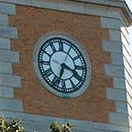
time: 3:33
